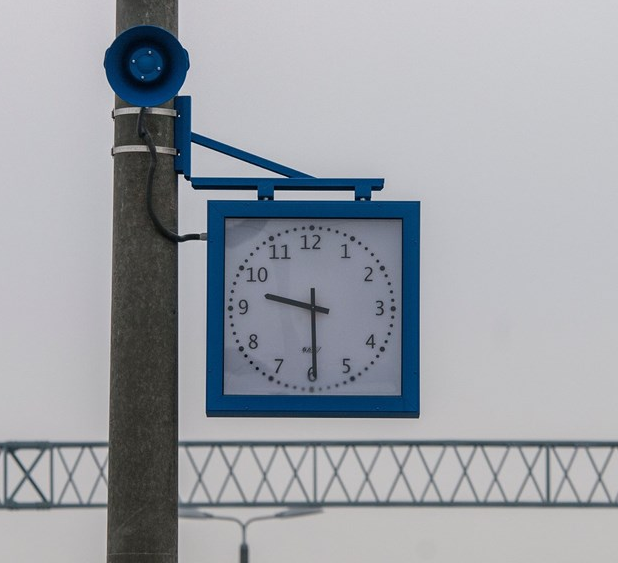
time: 9:29
